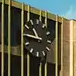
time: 10:45
